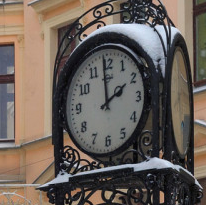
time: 1:59
